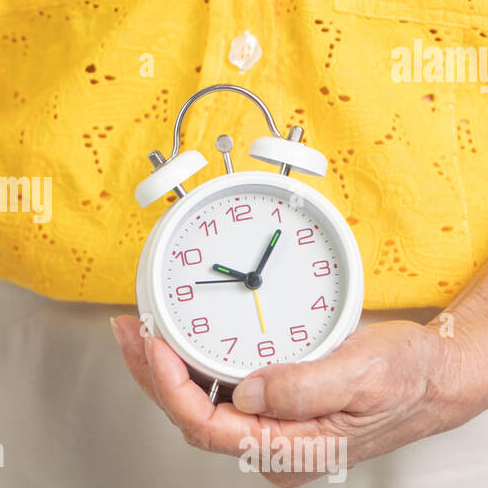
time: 10:06
